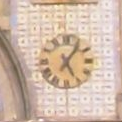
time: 5:06
